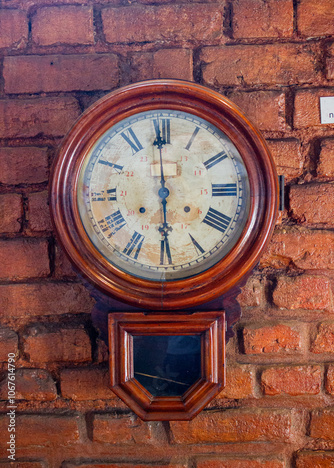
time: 5:59
